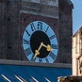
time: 3:35
